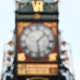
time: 1:28
